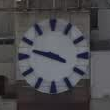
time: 3:47
